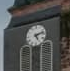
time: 5:12
